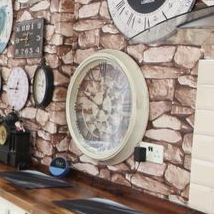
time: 12:49
